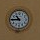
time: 10:45
